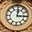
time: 12:14
